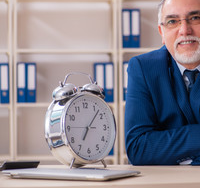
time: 7:07
